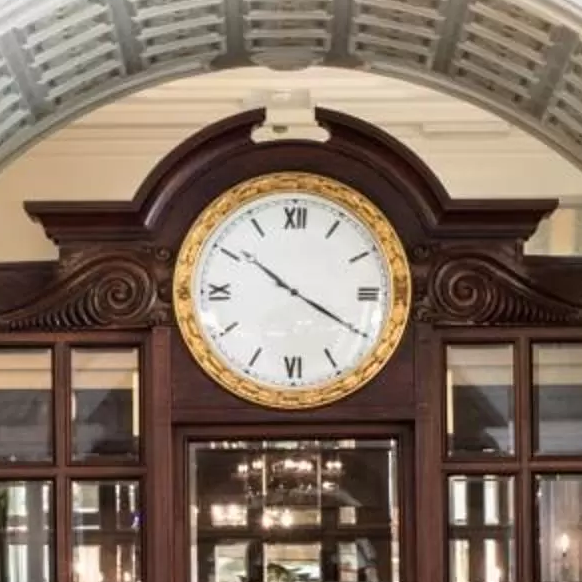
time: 10:19
